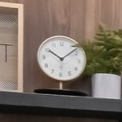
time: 10:07
